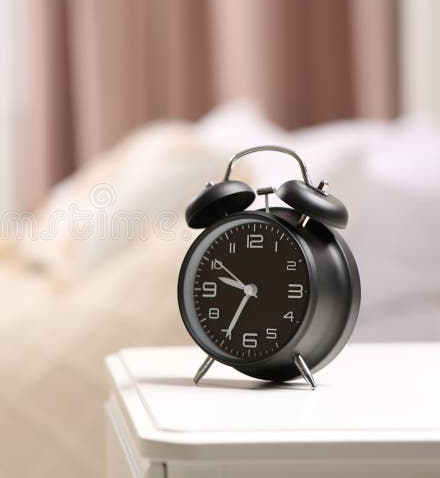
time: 9:34
